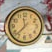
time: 11:37
